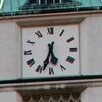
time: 5:33
